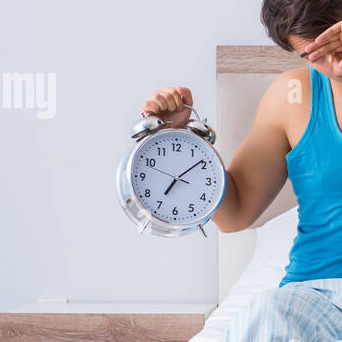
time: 7:08
